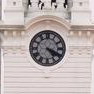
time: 4:19
